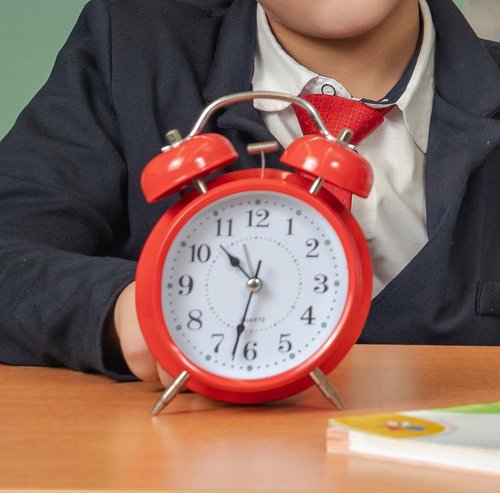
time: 10:32
